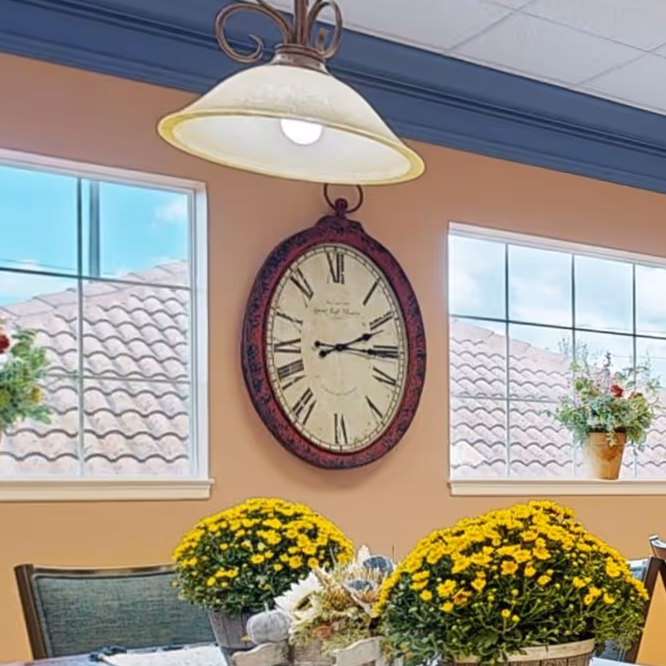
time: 2:15
